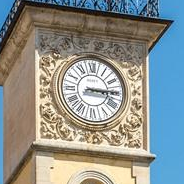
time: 3:14
